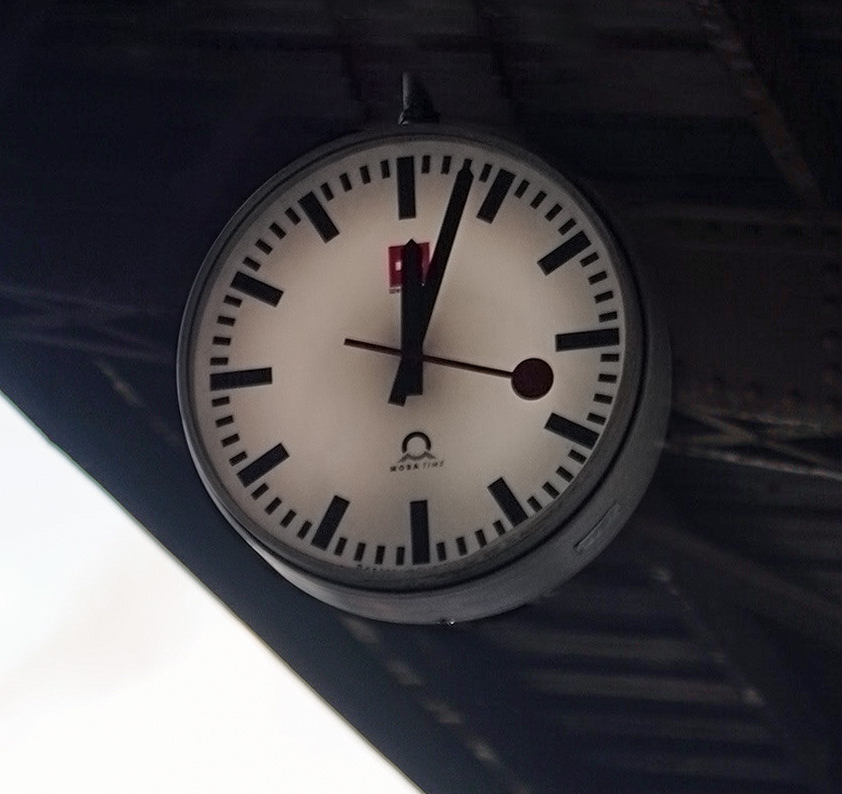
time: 12:03
